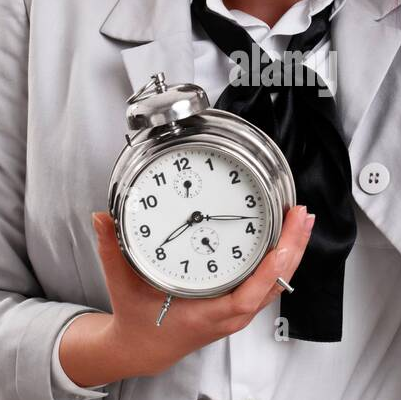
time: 8:17
